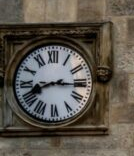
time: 8:15
